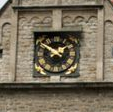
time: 1:50
